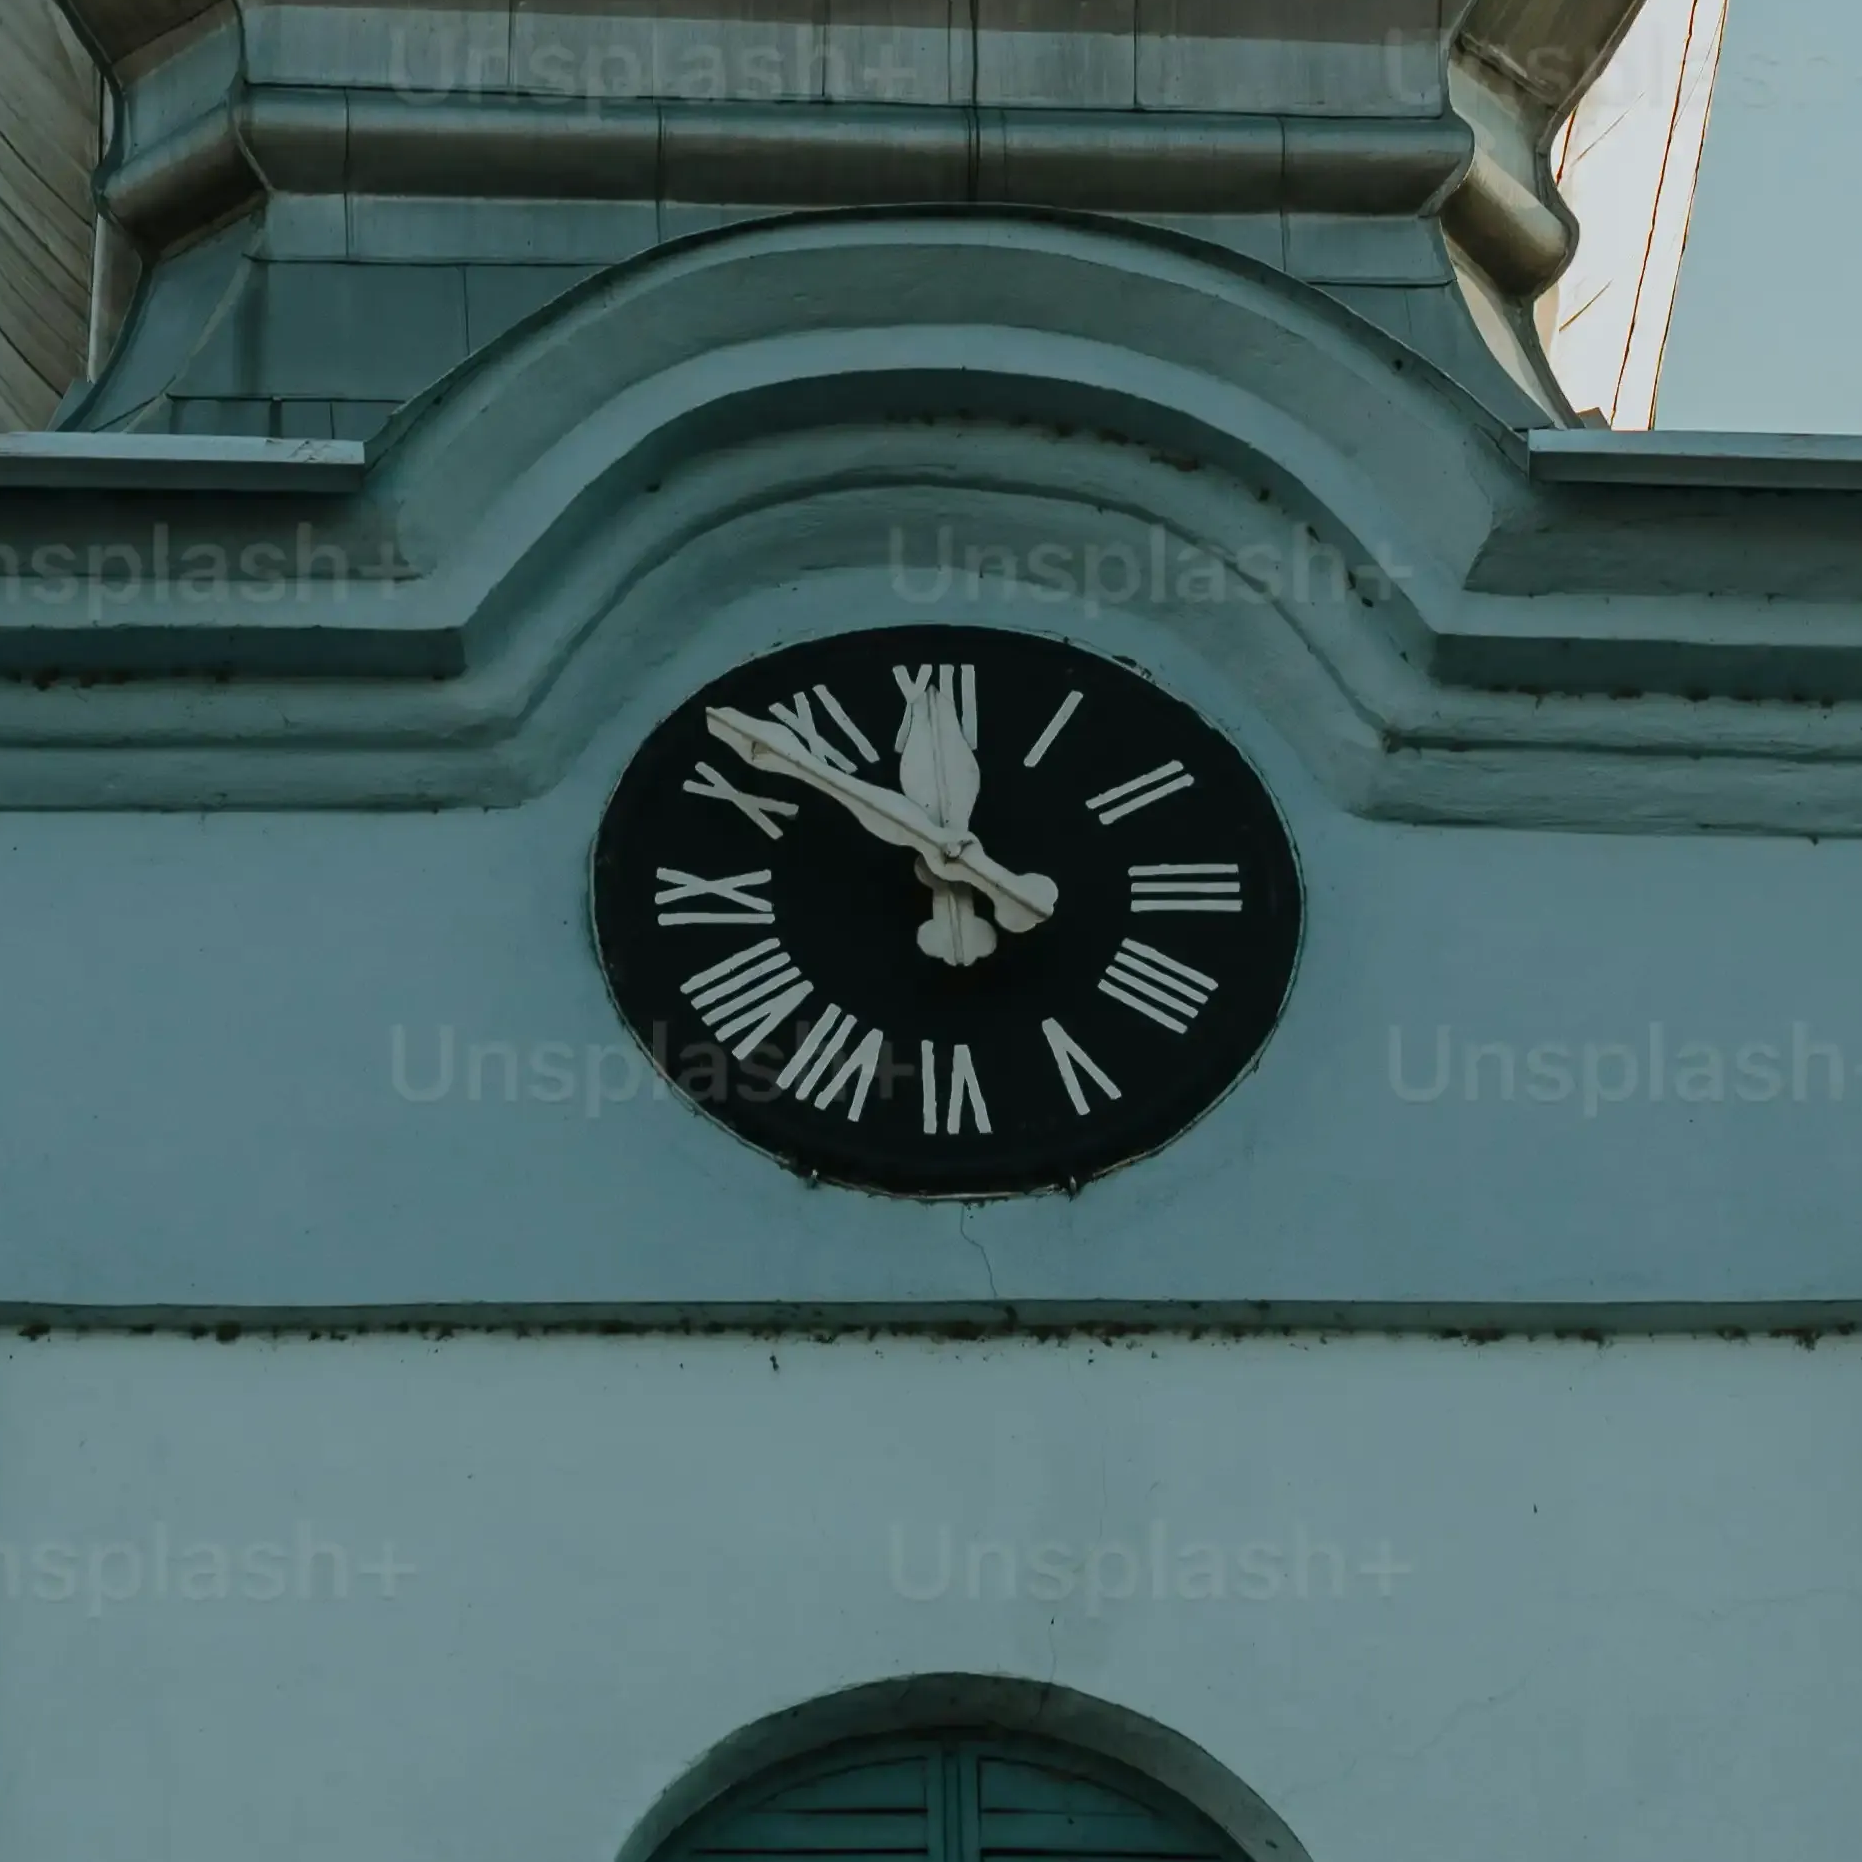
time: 11:52
